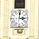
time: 3:01
